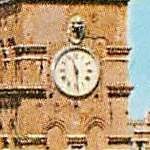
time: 11:29
